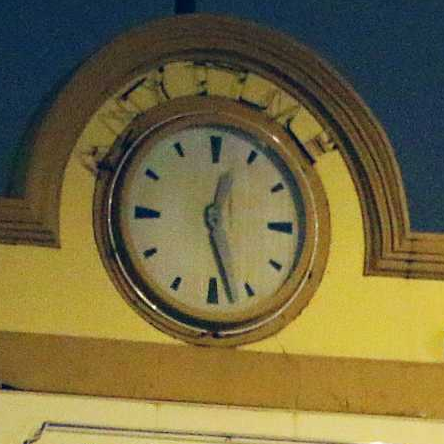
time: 12:27
